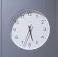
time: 5:33
